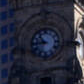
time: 8:53
